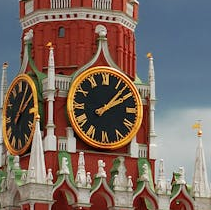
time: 2:07
